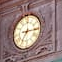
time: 7:15
